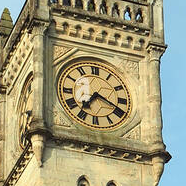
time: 7:18
